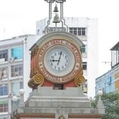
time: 9:02
